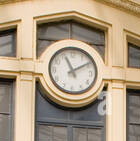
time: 11:09
